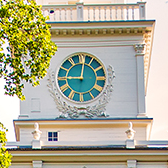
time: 9:01
